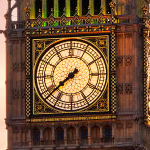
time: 7:38
